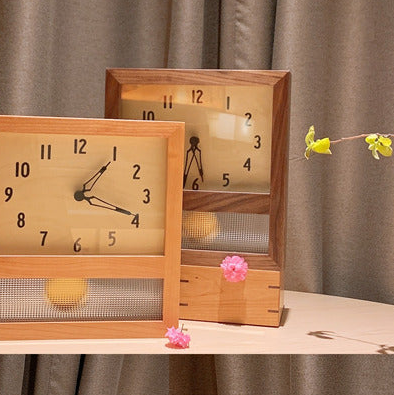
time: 1:18
